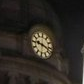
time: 9:18
